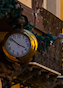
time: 3:51
